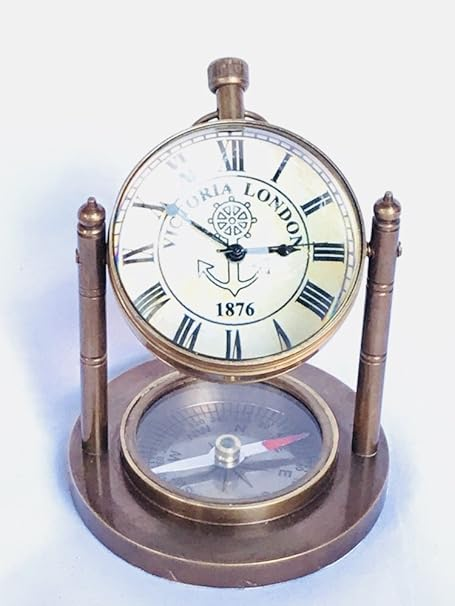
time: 2:50
